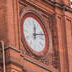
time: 12:12
